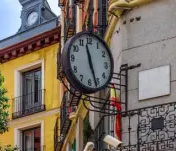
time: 11:26
